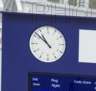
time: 10:51
